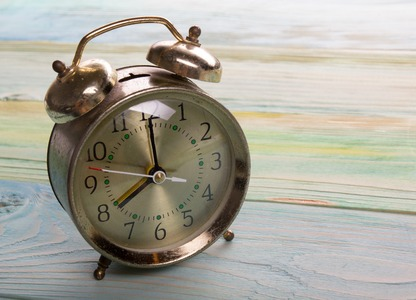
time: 7:59
